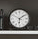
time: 6:08
